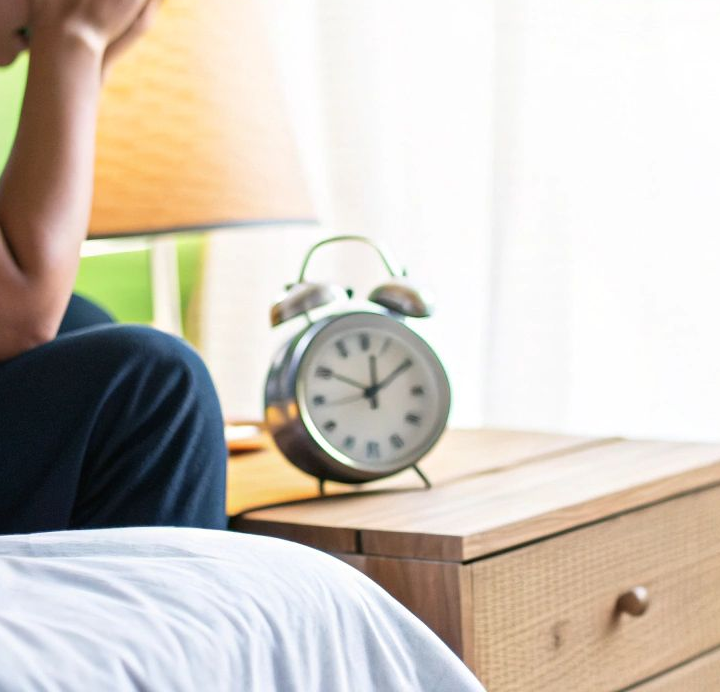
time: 12:09
